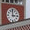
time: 2:59
